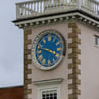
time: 3:47
